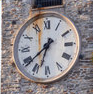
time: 6:38
